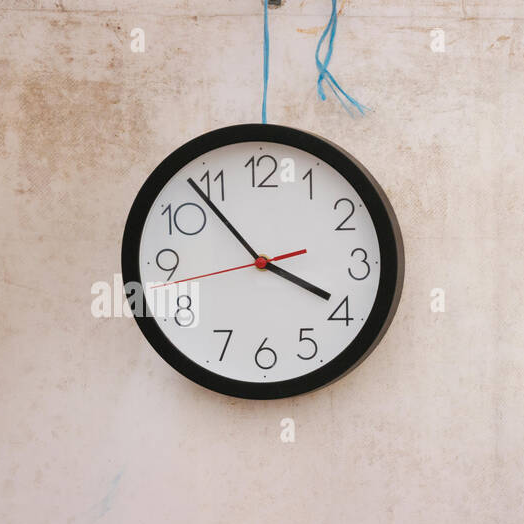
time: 3:53
